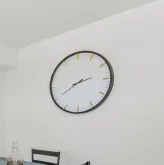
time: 2:40
